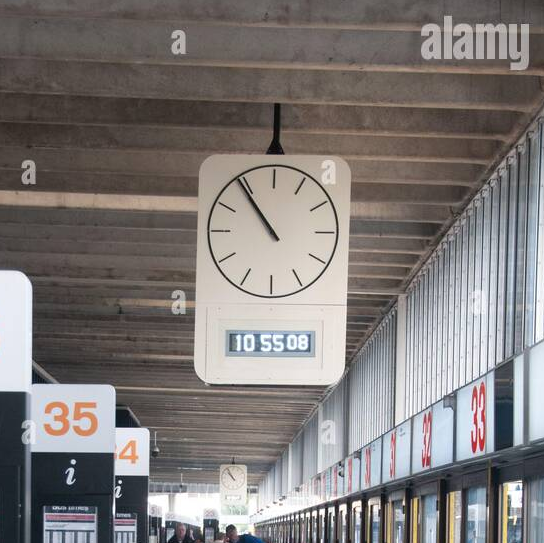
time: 10:54
